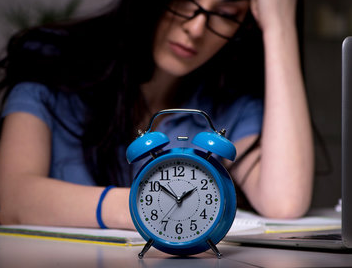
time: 1:51
